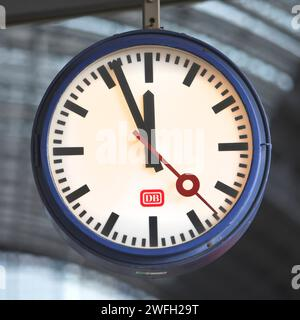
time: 11:56
